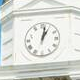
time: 1:02
